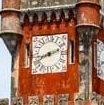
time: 8:11
